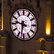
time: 9:32
